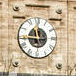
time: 11:45
